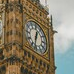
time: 12:32
